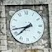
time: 7:43
